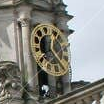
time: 12:23
